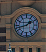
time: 1:42
